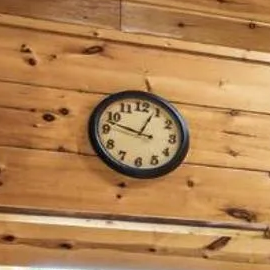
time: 12:47
